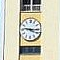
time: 9:15
